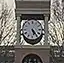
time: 5:24
